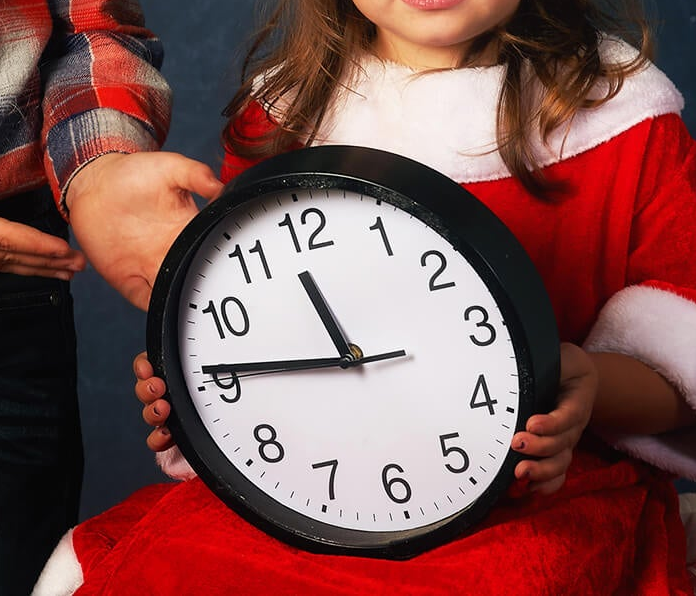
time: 11:46
